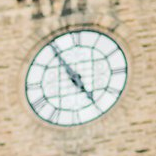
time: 4:54
